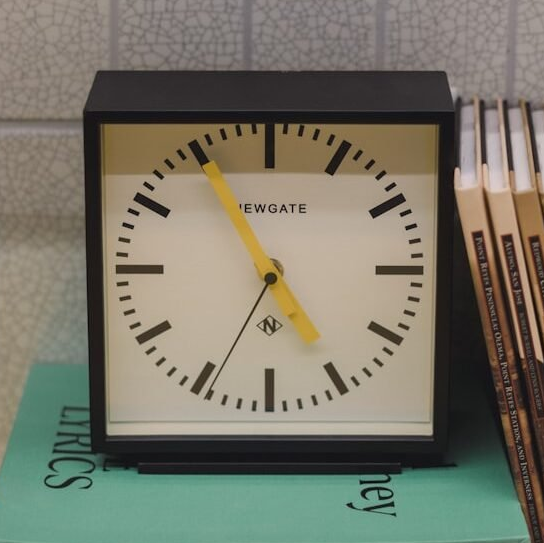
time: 4:55
